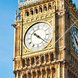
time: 10:21
